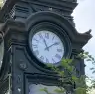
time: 11:09
